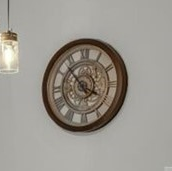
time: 3:52
